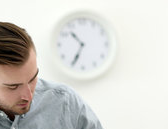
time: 10:34
